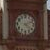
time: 4:11
